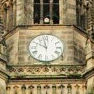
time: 9:57
